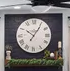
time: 10:05
